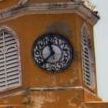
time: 11:37
